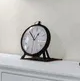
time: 12:52
